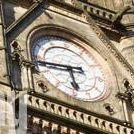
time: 5:44
